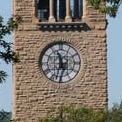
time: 11:32
